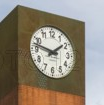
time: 1:47
